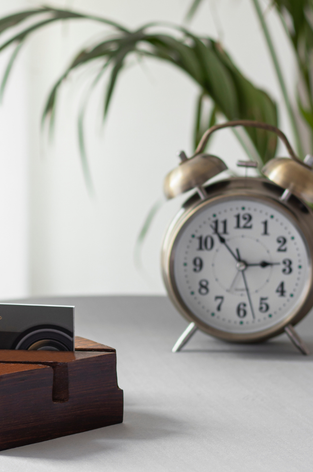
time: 2:53
